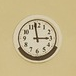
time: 2:58
